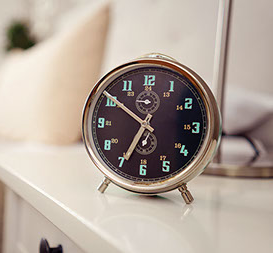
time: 6:50
